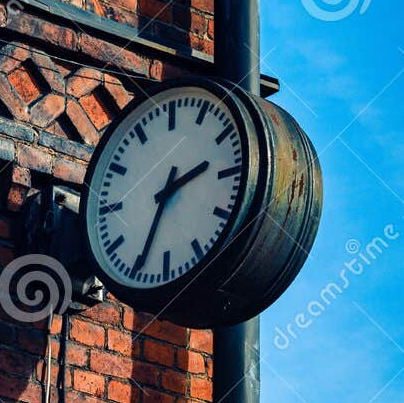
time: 2:34
